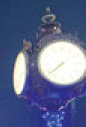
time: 7:38
